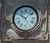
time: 10:08
